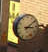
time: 3:09
